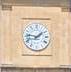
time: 1:46
